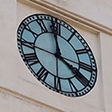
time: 3:58
